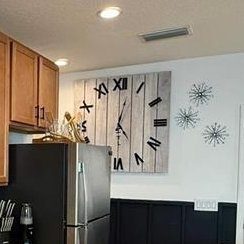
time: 12:23
